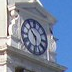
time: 10:28
